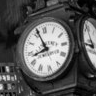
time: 8:56
